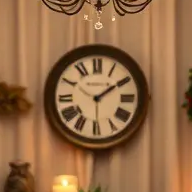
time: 1:50
